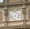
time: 8:07
